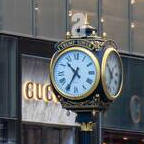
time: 10:34
